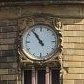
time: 10:53
